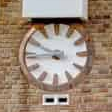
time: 8:49
